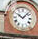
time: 10:07
